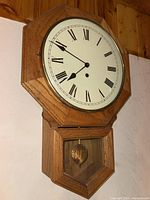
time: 7:49
